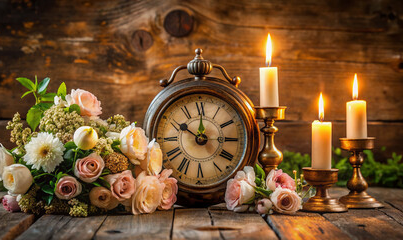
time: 10:00
